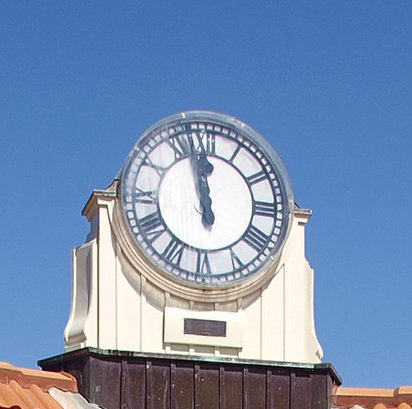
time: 11:57
